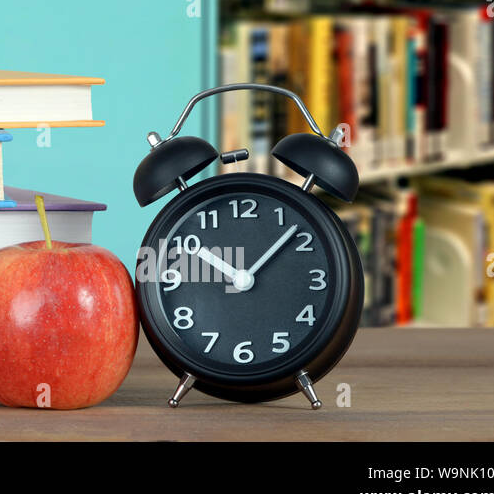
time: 10:07
